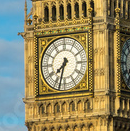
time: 7:32
